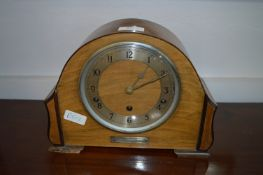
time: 1:11
